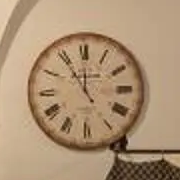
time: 11:54
